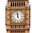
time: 11:58
